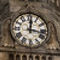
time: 12:16
